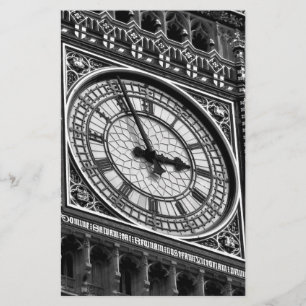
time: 2:56
